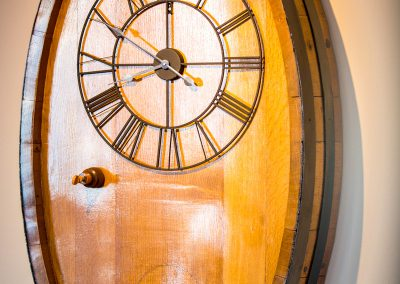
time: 5:59
